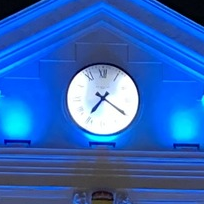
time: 7:20
